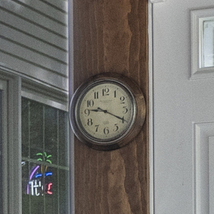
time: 9:19
